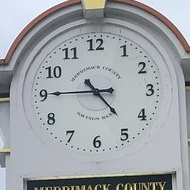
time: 4:45
